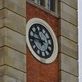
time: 10:43
